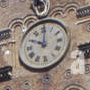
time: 10:00
